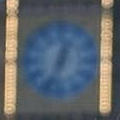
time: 12:33
